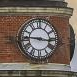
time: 9:16
